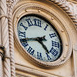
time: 4:41
